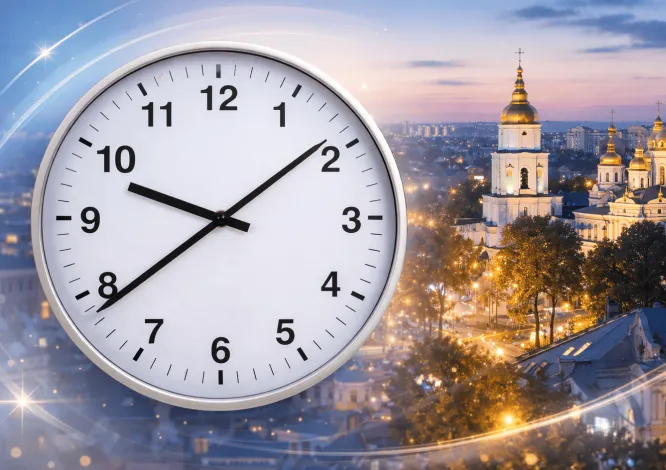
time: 9:38
